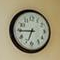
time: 6:44
